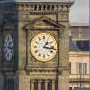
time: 1:16
